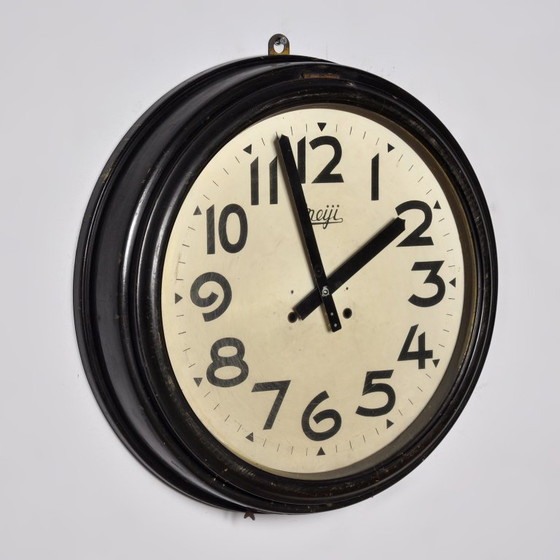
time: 1:57
